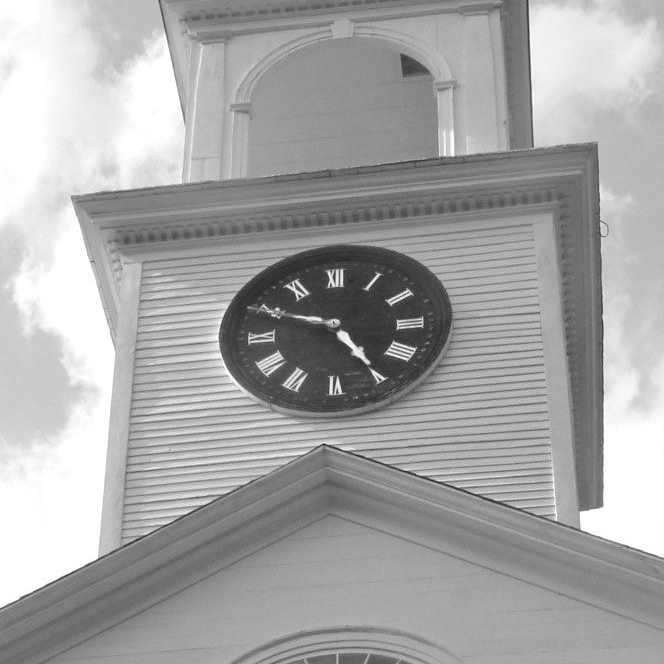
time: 4:49
